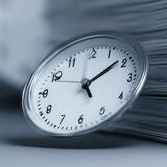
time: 5:08
